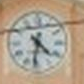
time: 4:31
